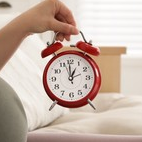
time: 12:59
